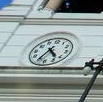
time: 4:35
